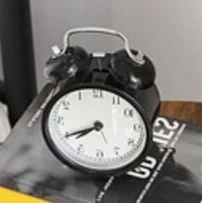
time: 7:40
